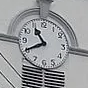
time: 10:40
